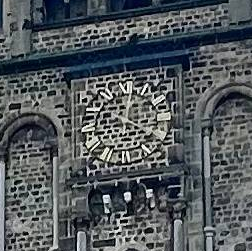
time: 12:19
